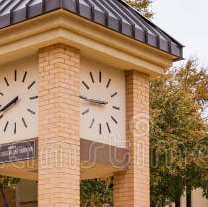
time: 8:44
